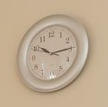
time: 10:14
